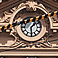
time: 1:29
